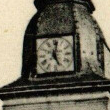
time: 5:01
